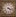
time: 4:17
